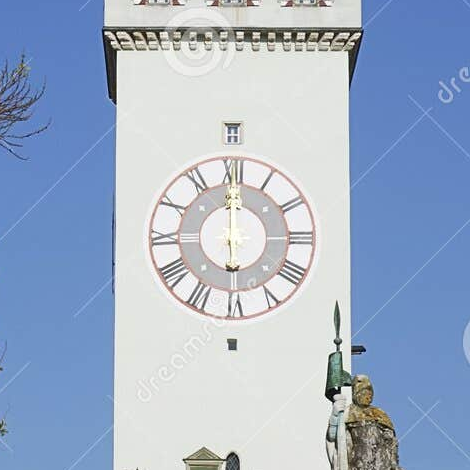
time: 6:00
